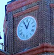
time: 12:55
